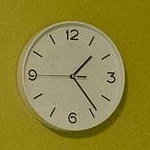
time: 1:23
